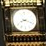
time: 8:18
